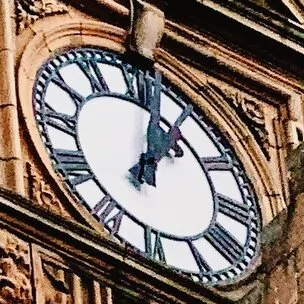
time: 1:02
